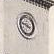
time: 3:46
